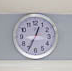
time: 12:34
